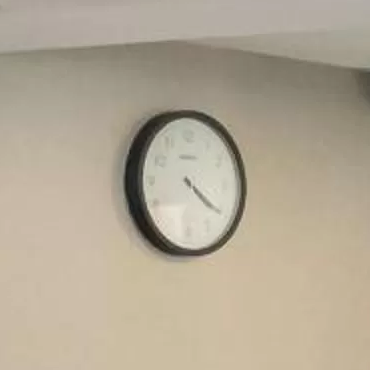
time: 4:20
